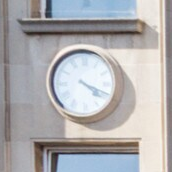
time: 4:18
